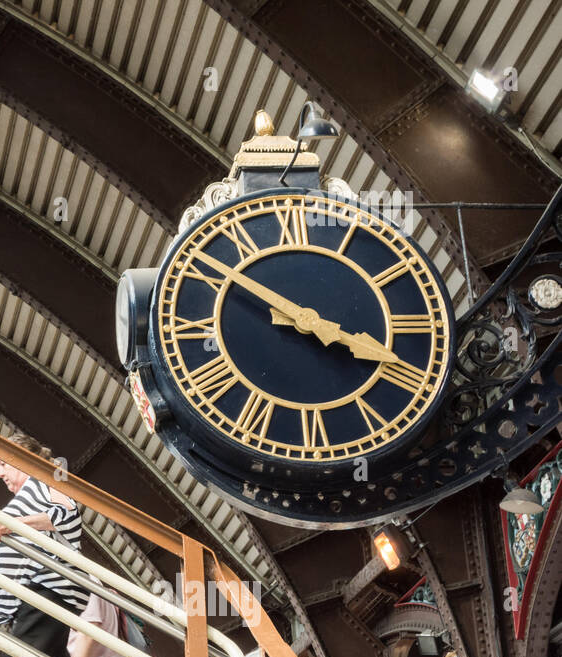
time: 3:50
